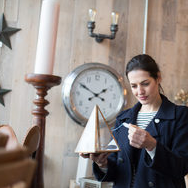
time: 1:50
